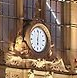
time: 6:02
